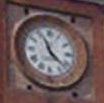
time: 11:21
